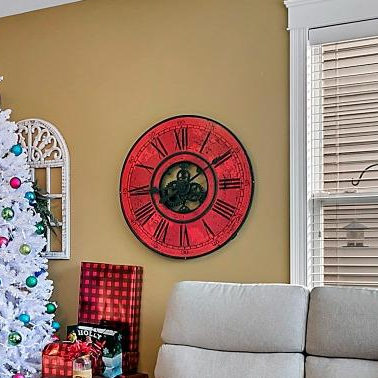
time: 12:09
